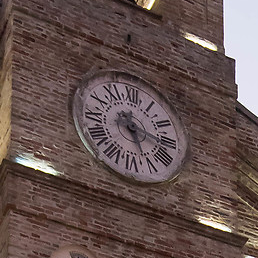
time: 5:15
